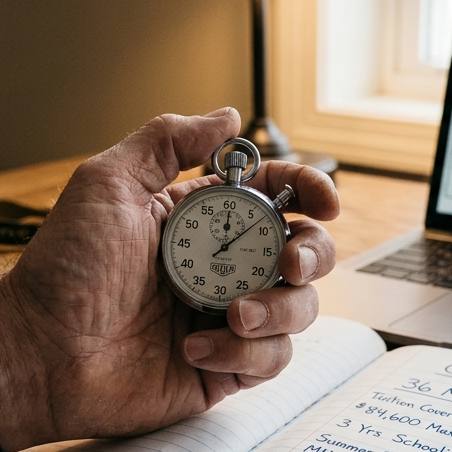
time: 12:07
